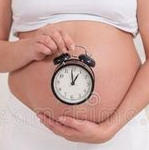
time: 12:58
